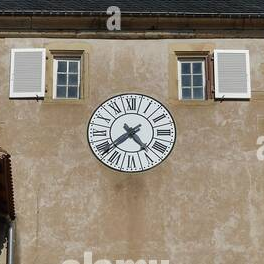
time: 4:38
